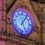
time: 5:05
